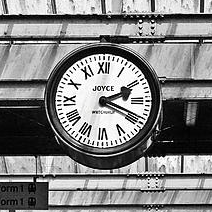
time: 2:18
